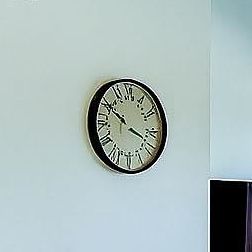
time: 3:49
